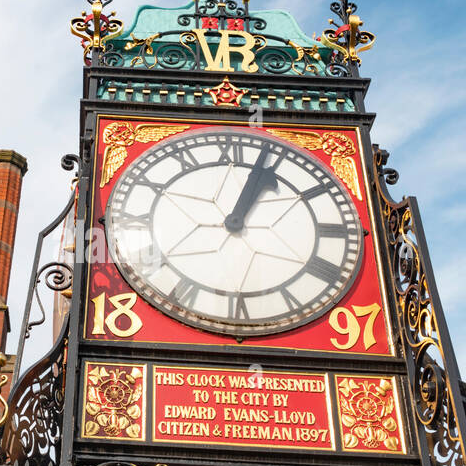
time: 1:03
